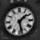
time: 1:28
